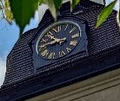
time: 9:42
